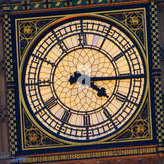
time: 4:15
